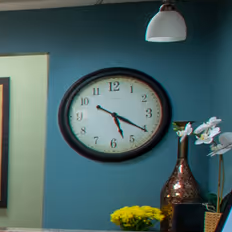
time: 5:20
